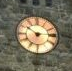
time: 10:14
